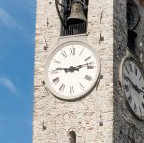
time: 9:12
